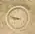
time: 8:48
